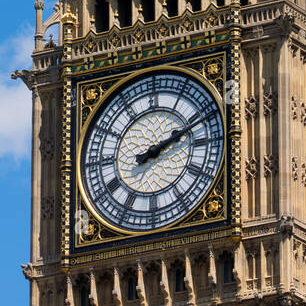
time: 2:11
